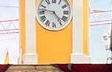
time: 4:46
